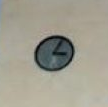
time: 3:04
